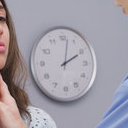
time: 2:01
